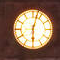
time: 6:02
